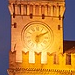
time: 6:10
